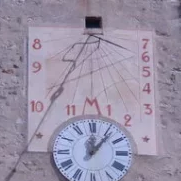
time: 12:07
